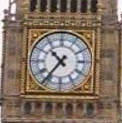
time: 10:36
